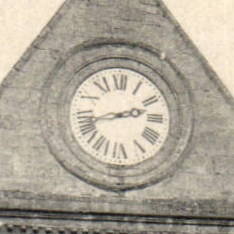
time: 2:42
